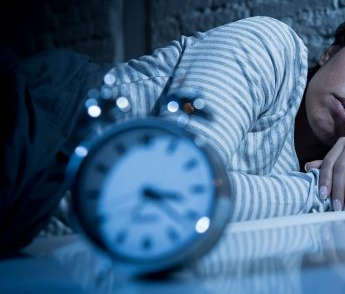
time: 3:22
